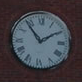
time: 1:53
